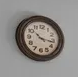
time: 10:16
